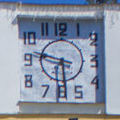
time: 9:29
